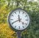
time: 11:40
